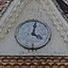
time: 4:02
